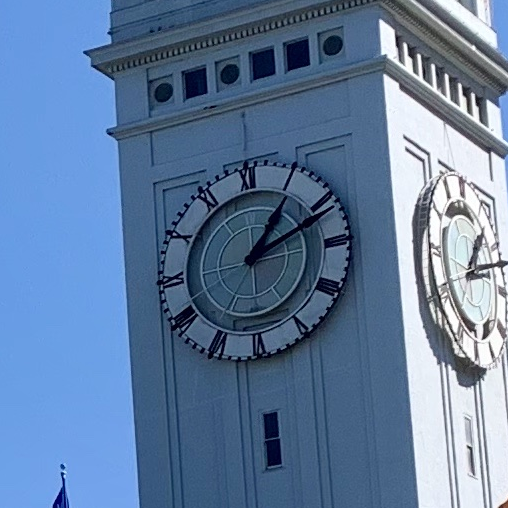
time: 1:11
